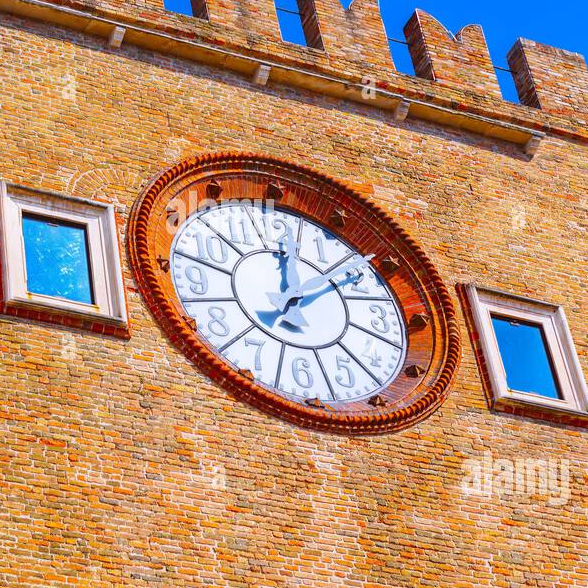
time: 12:08
